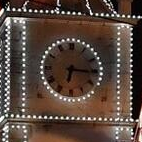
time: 6:15
